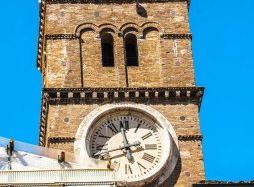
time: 2:58
